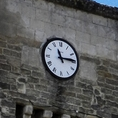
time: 11:14
